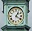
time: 1:20
